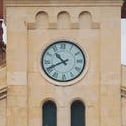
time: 10:41
